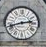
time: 2:42
